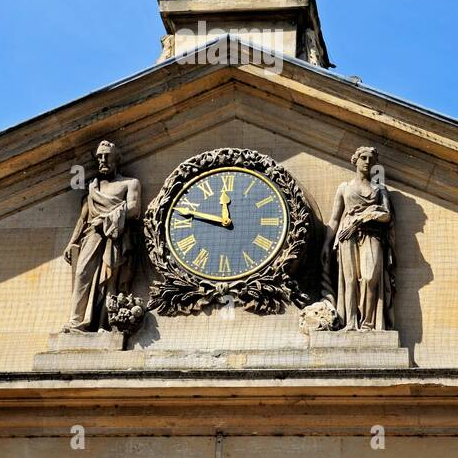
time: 11:47
